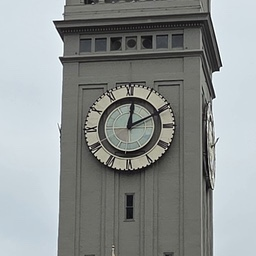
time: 12:10
